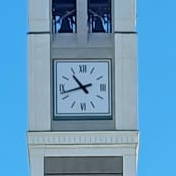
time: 10:42
